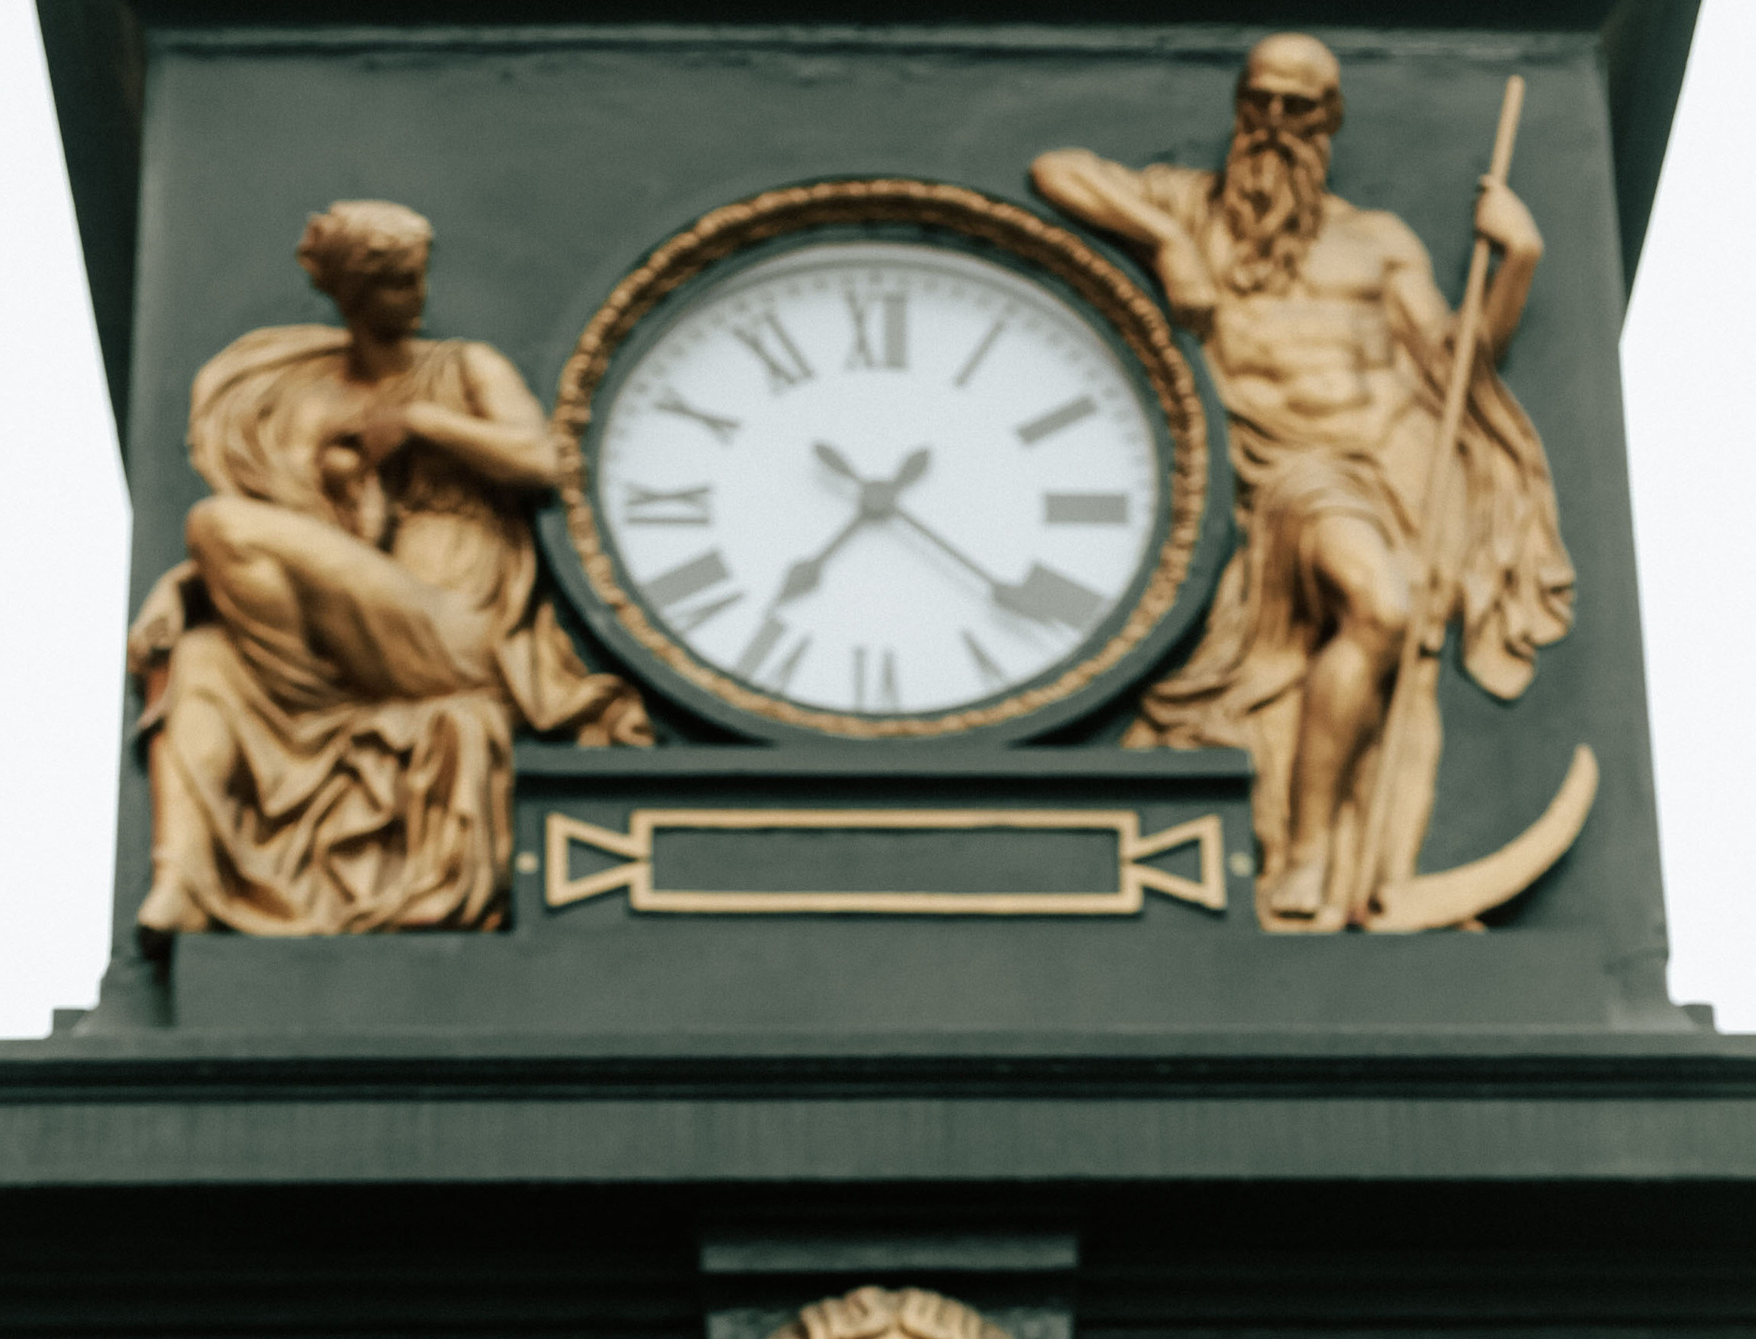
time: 7:21
